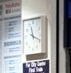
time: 11:18
